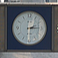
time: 2:14
